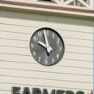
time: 9:57
